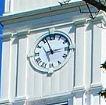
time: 2:56
